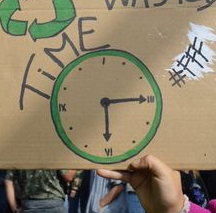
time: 6:15
